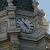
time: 4:52
